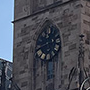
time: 2:42
